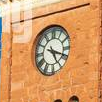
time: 5:18
